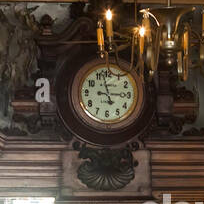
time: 2:57
